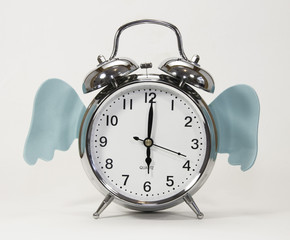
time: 6:00
